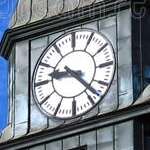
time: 9:22
